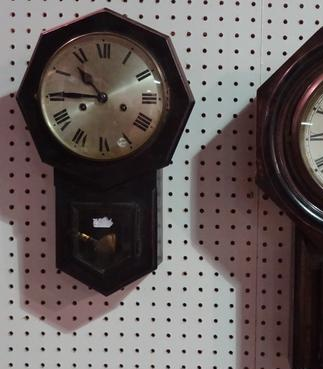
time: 10:45
